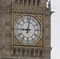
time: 9:01
